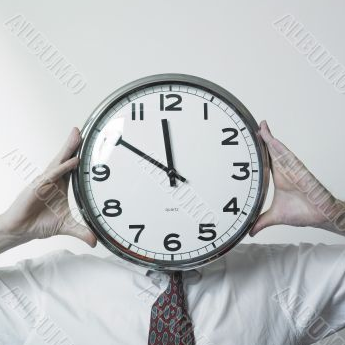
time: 11:50
